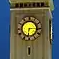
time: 6:14
